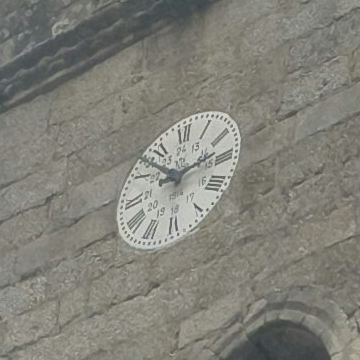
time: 10:13
